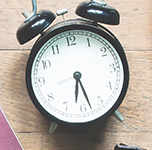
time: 6:28
